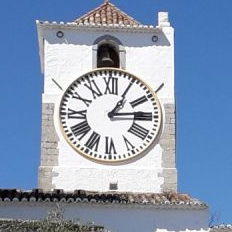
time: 1:13
